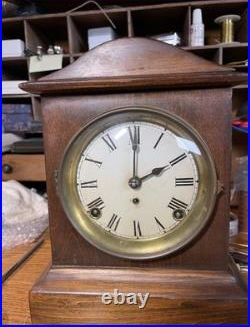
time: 2:00
